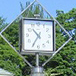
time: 10:35
